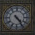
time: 4:23
